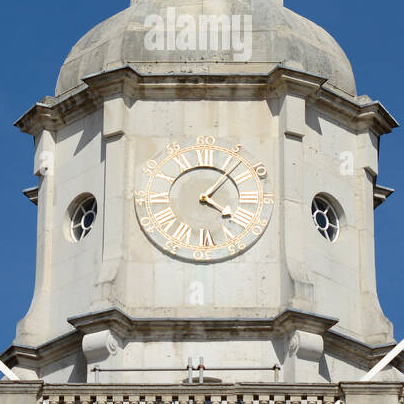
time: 4:07
